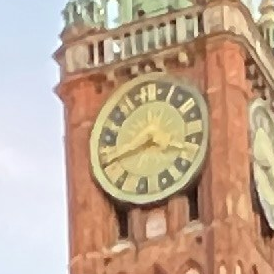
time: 3:40
